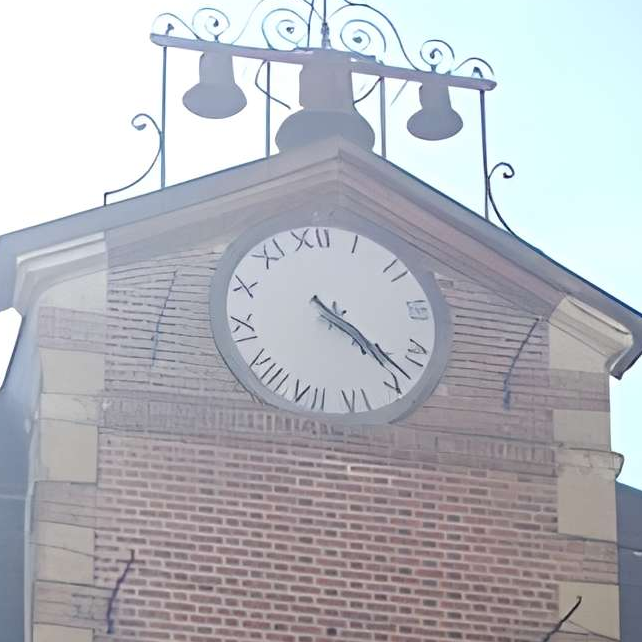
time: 4:23
